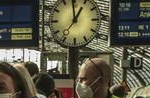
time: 12:59
